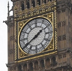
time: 1:39
